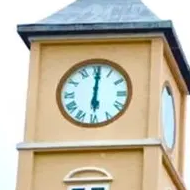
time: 6:00
